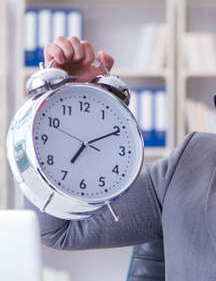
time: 7:10
